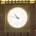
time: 10:47
